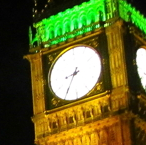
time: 8:35
